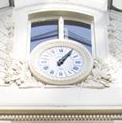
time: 1:05
